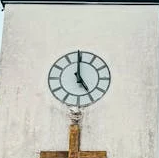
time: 4:59
